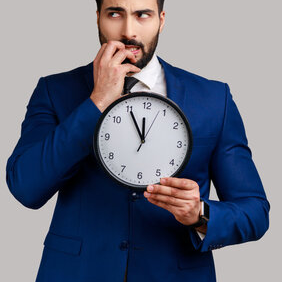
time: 11:54
